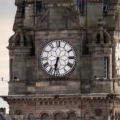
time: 6:32
